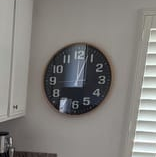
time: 12:02
